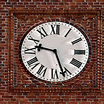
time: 9:26
